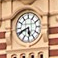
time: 5:40
